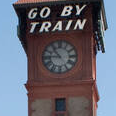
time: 10:45
